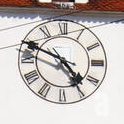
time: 4:49
